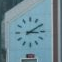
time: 3:09
